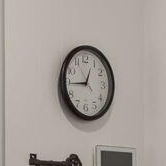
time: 12:43
